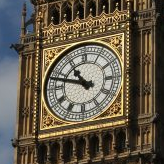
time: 10:47
